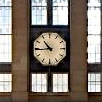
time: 10:44
